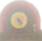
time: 4:26
